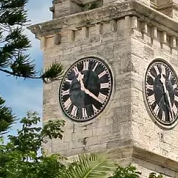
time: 11:20
